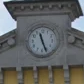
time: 11:26
